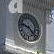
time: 9:22
